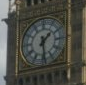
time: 1:28
